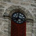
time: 7:00
